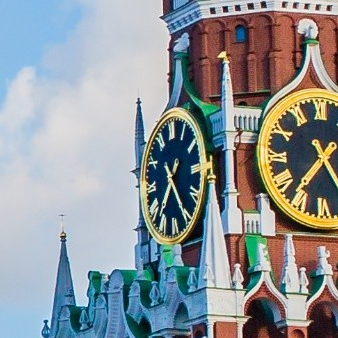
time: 7:25
